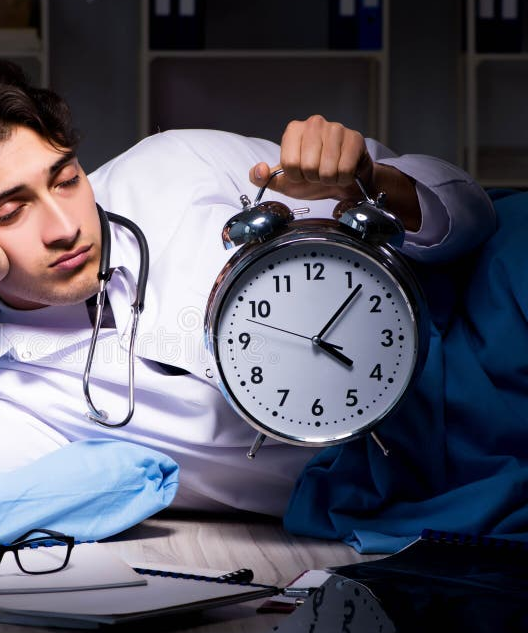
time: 4:06
